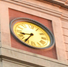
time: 8:35
